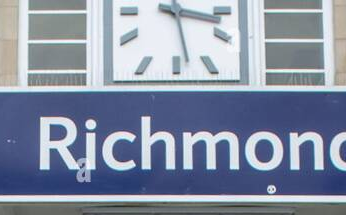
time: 3:27
